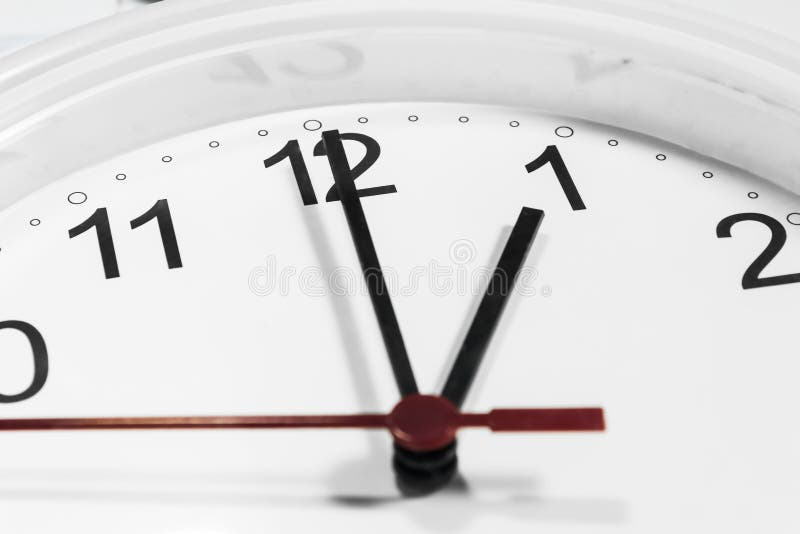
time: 12:59
